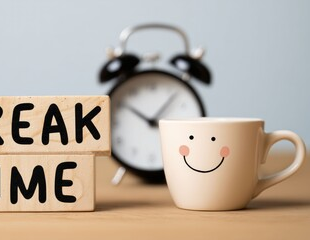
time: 10:07
